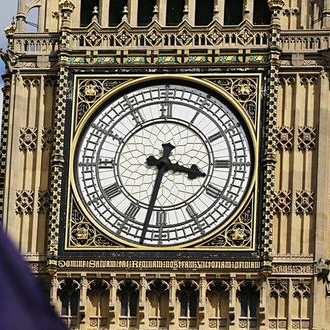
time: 3:32
